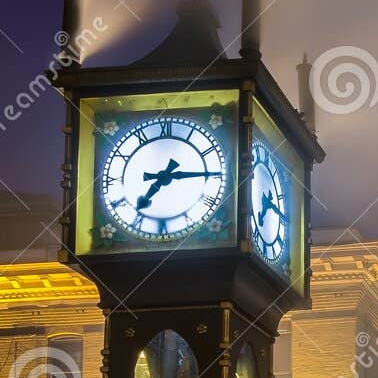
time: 7:15
